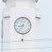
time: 8:35
